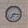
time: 7:15
